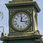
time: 12:16
